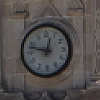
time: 12:47
